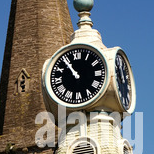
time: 10:54
